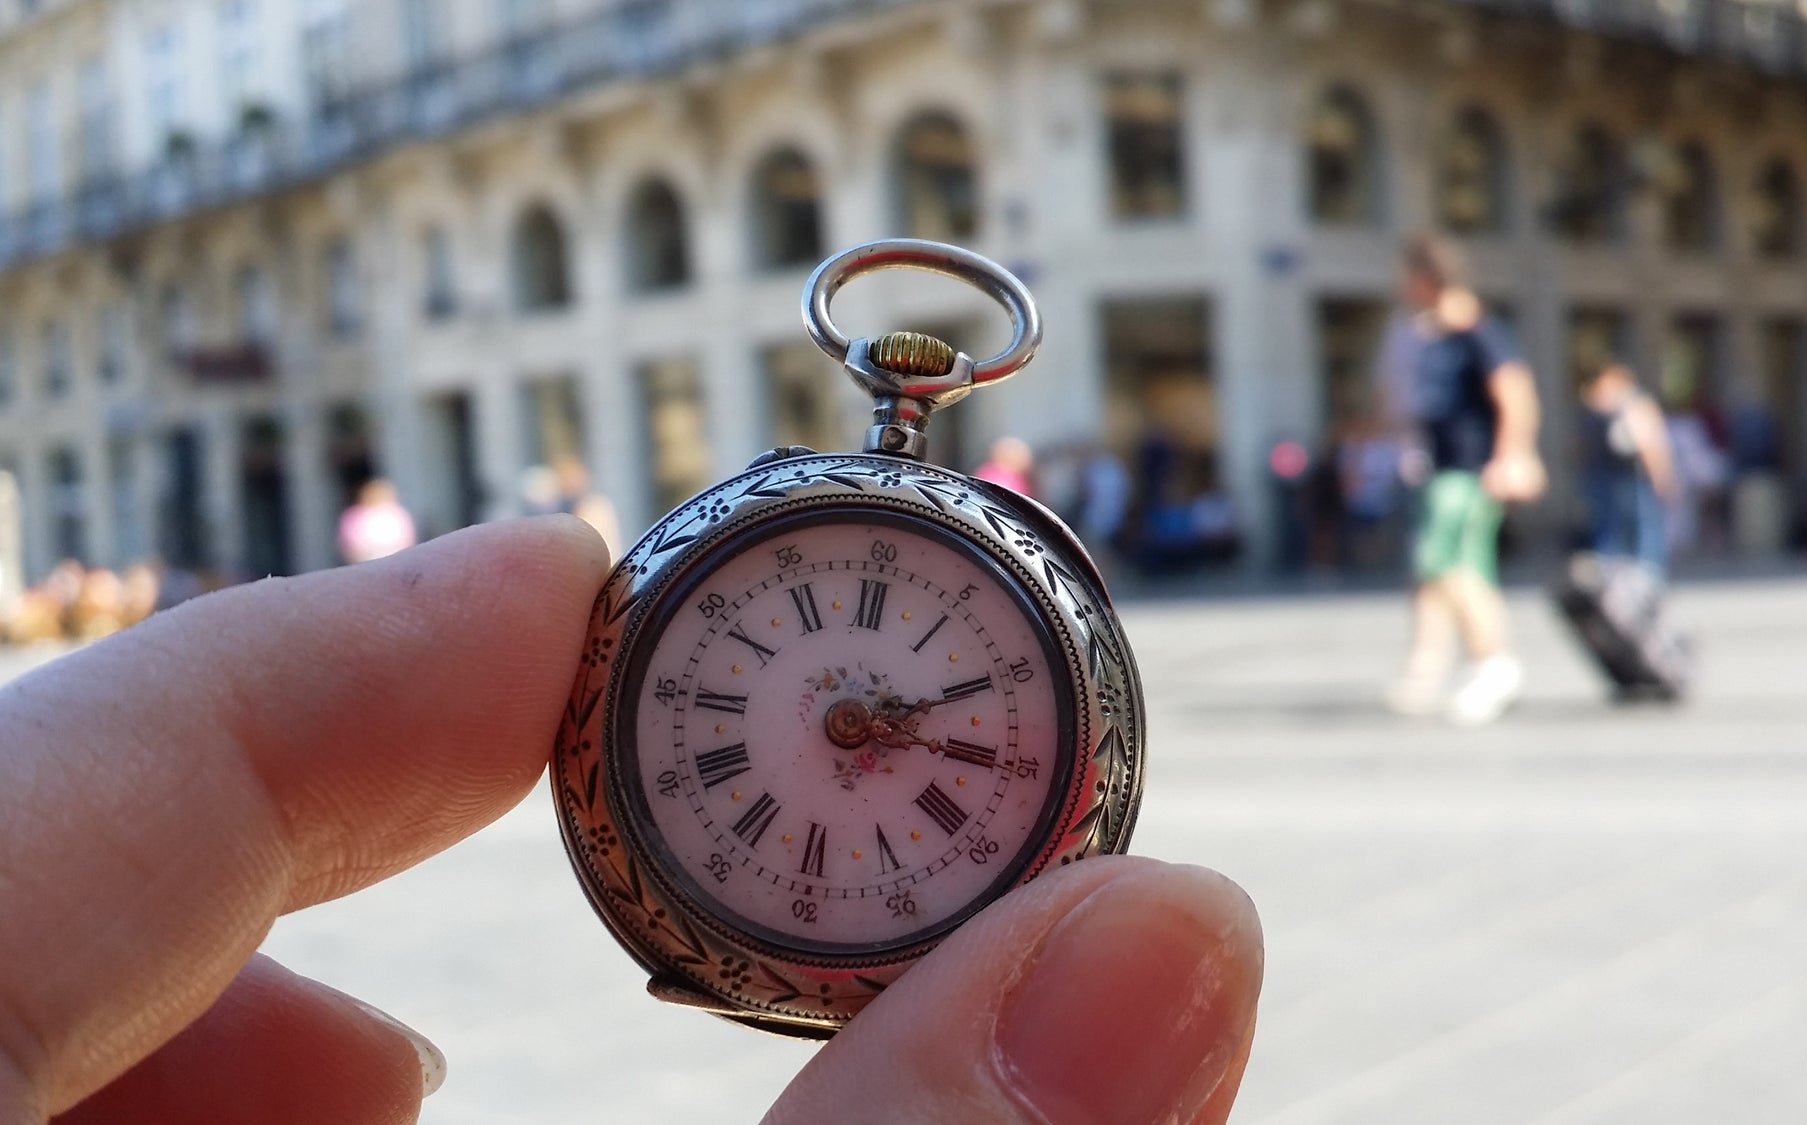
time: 3:10
